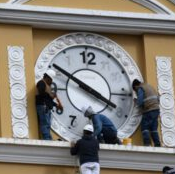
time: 3:50
